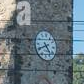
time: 4:40
